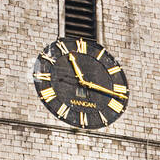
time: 11:17
